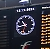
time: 10:45
